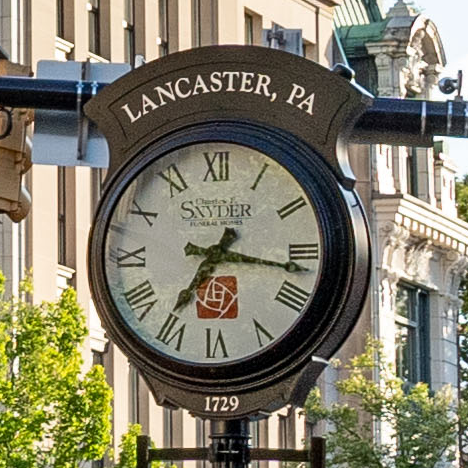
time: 7:16
